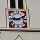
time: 9:11
